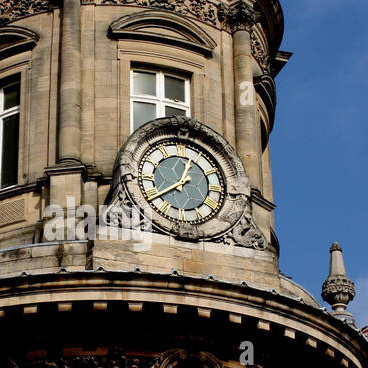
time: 12:39
